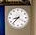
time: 8:37
